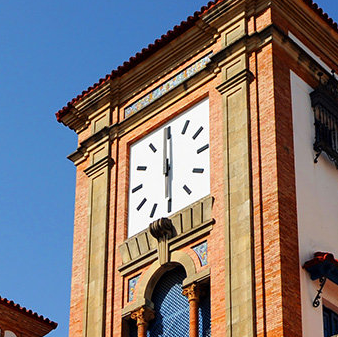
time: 6:00
